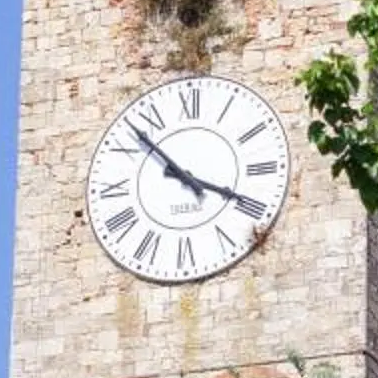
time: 3:52
